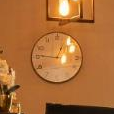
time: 12:46
